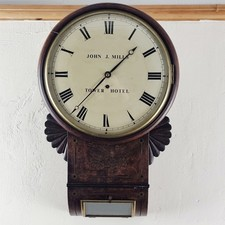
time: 1:36
